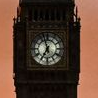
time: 6:57
